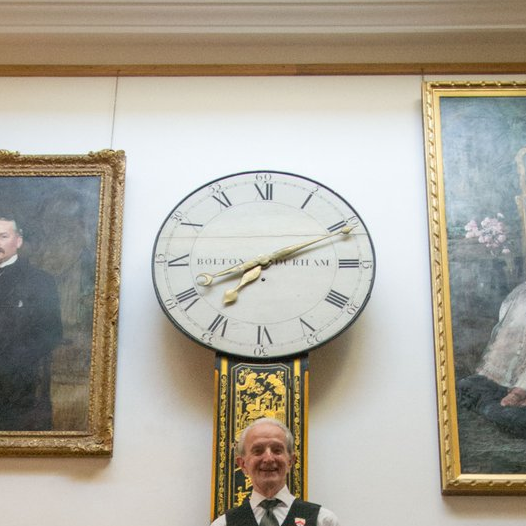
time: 8:11
